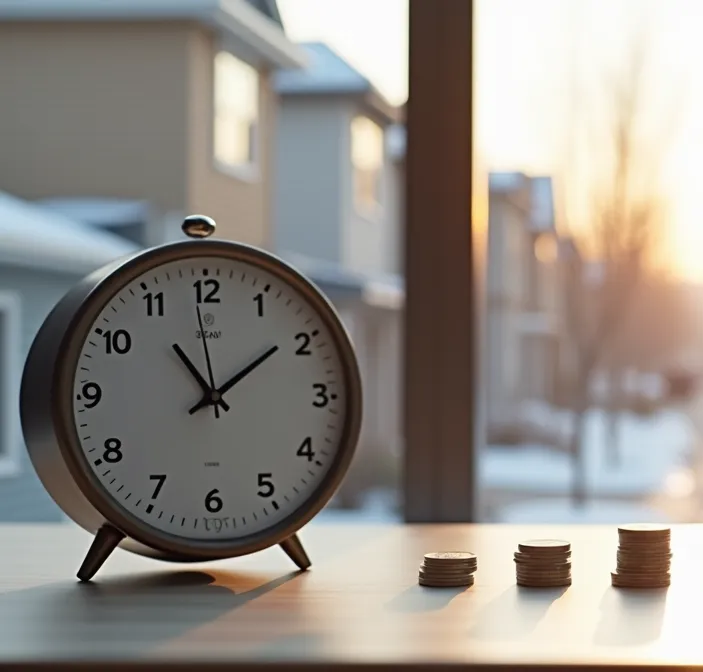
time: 11:08
